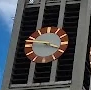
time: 3:45
